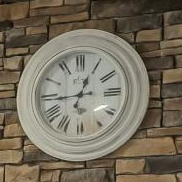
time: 12:44
